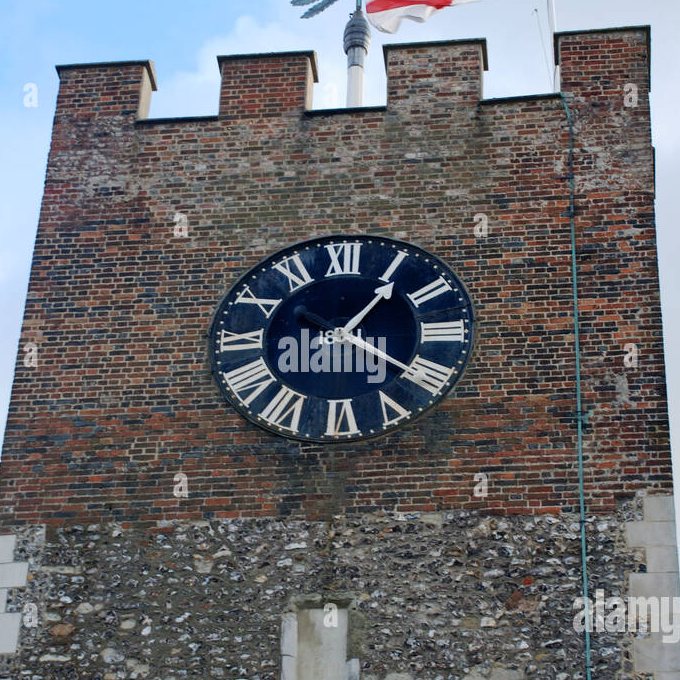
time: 1:20
